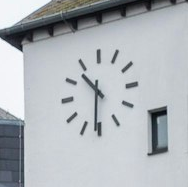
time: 10:31
